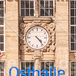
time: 4:23
